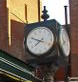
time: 7:48
